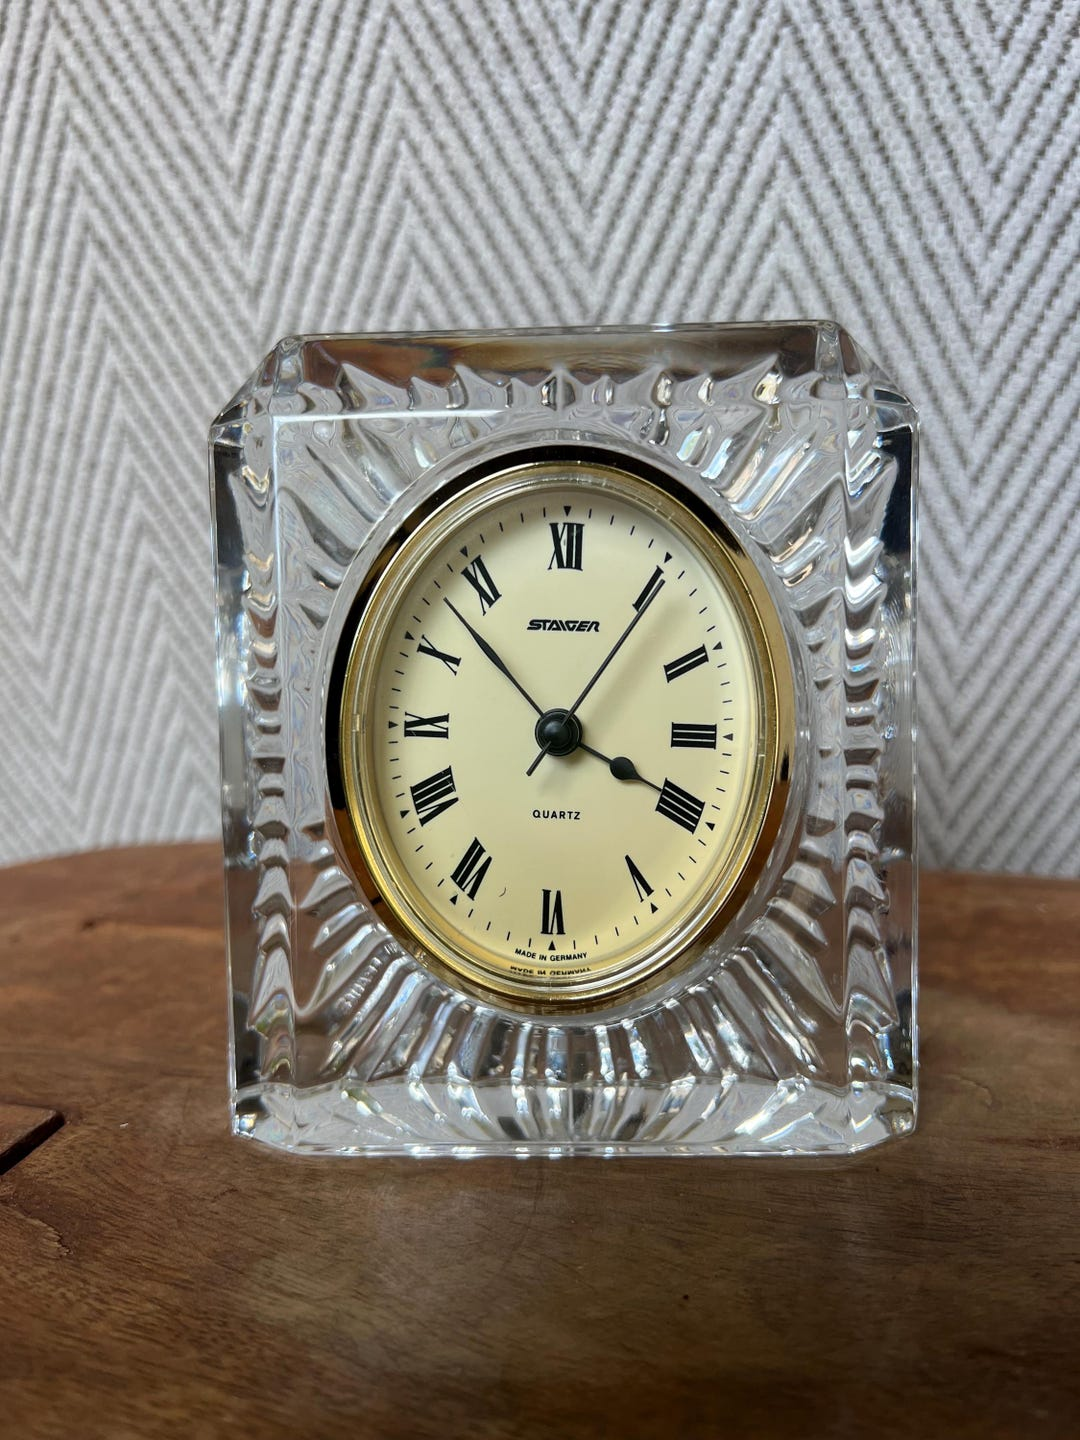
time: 3:52
